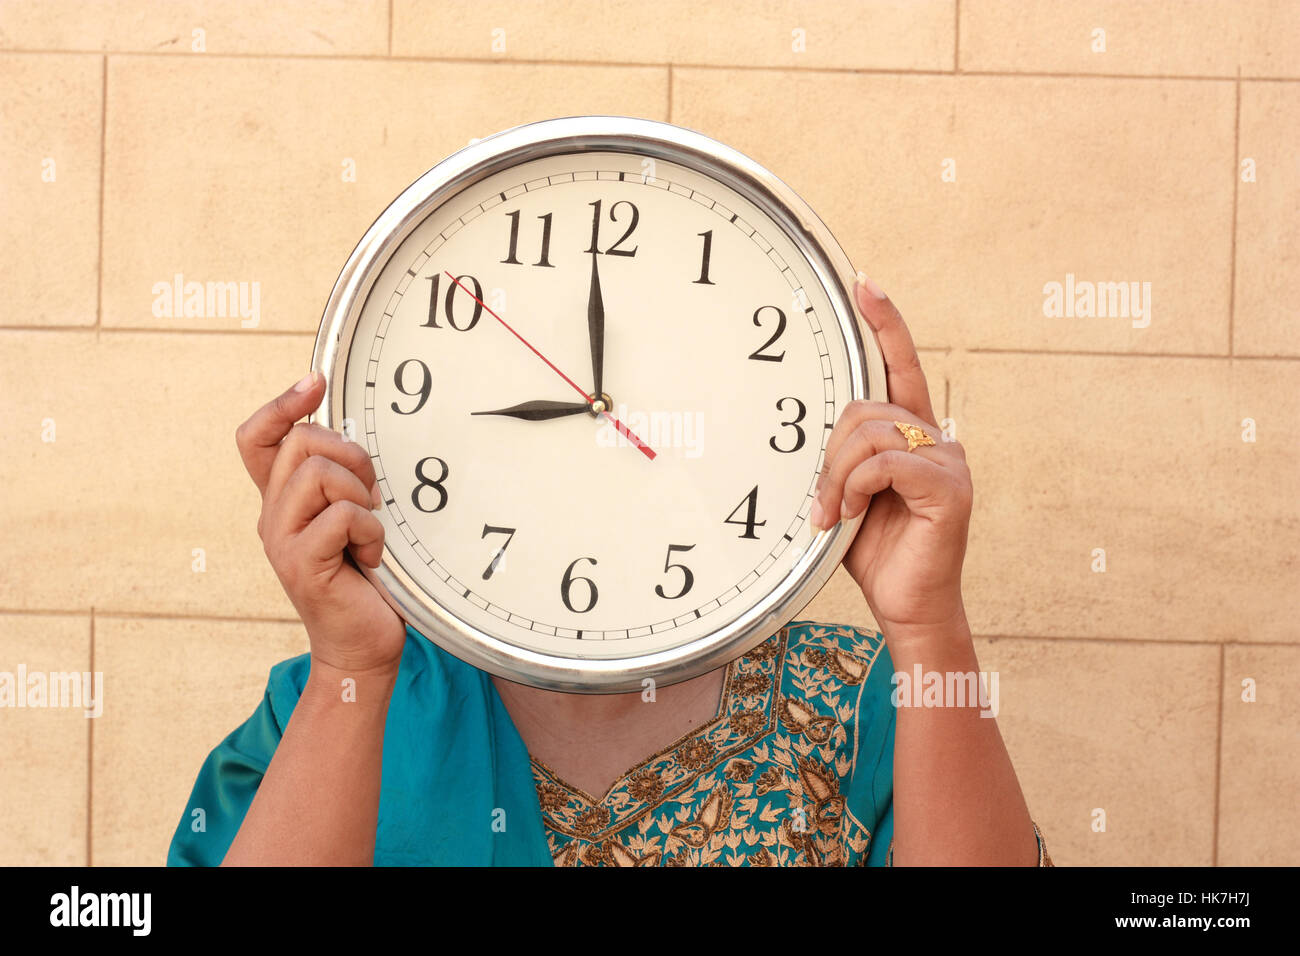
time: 8:58
